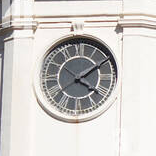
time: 4:09
